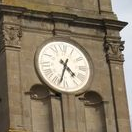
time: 4:33
